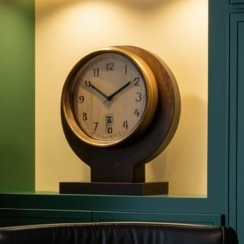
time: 10:09
